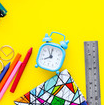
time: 7:59
